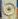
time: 4:12
